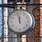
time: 11:57
